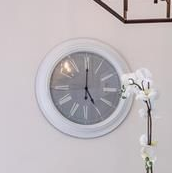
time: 5:00
